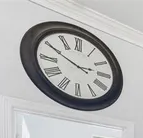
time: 2:49
